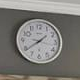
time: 1:39
